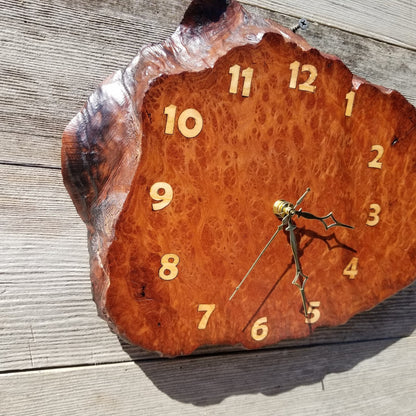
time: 3:25
